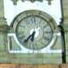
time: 6:36
